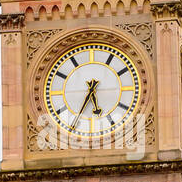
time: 5:34
